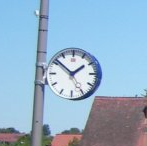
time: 1:51
